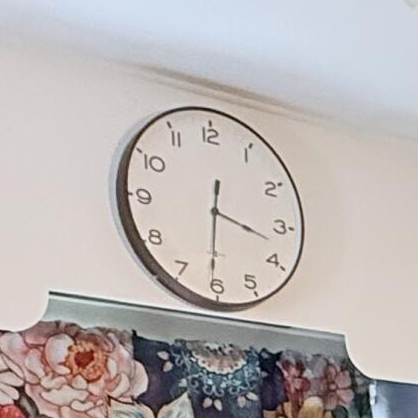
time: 3:30
